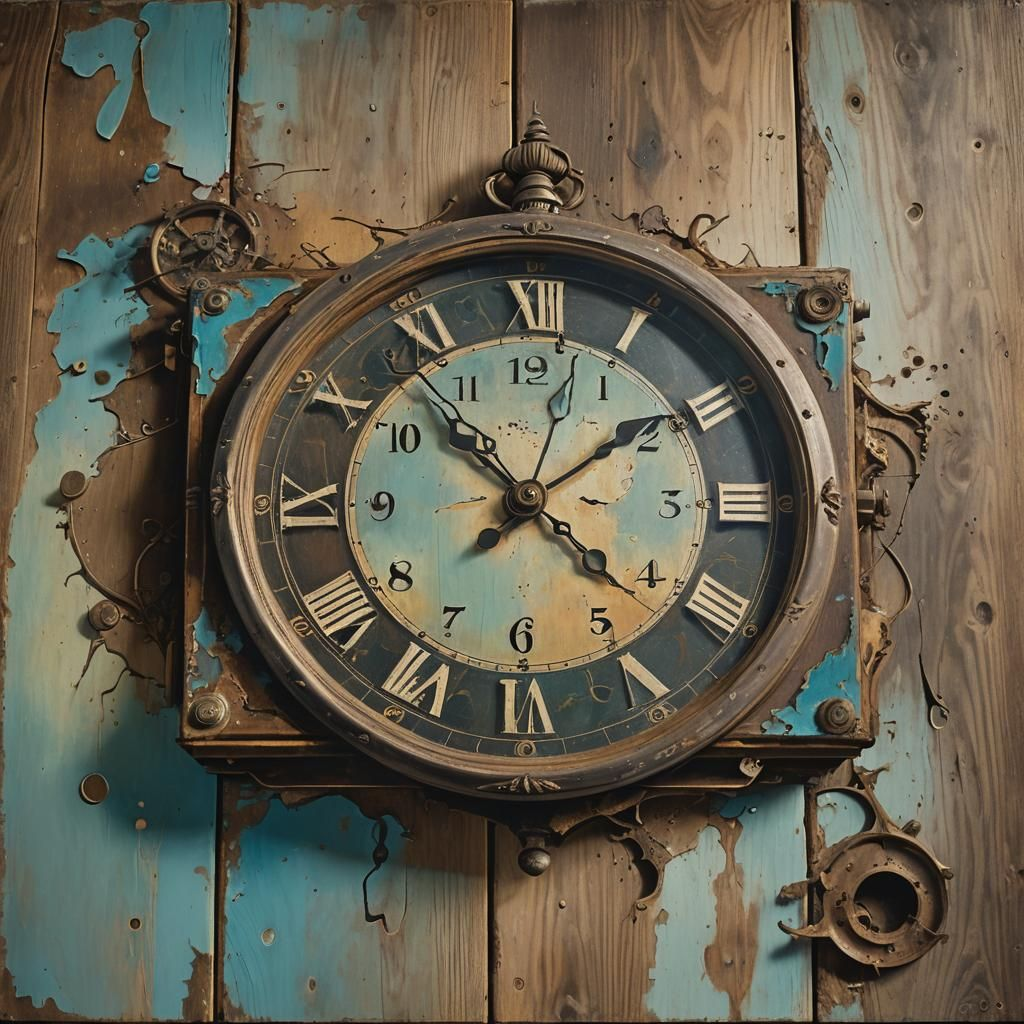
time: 1:52
